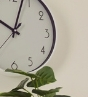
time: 10:03
